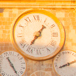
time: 1:36
